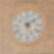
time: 5:09
